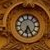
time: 6:25
